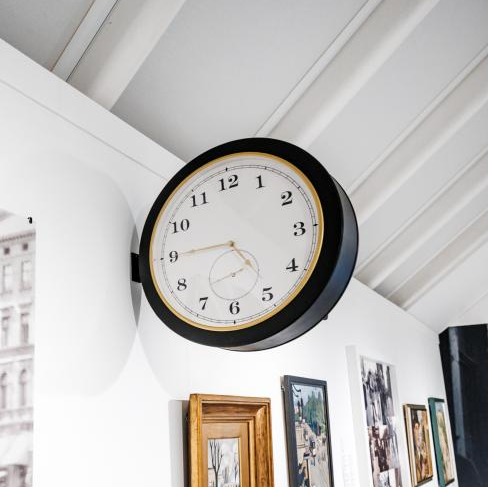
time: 4:45
